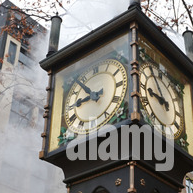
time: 8:53
